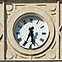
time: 5:34
